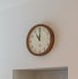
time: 11:00
